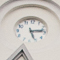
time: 5:13
